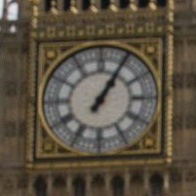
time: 1:05
